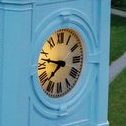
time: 7:47
